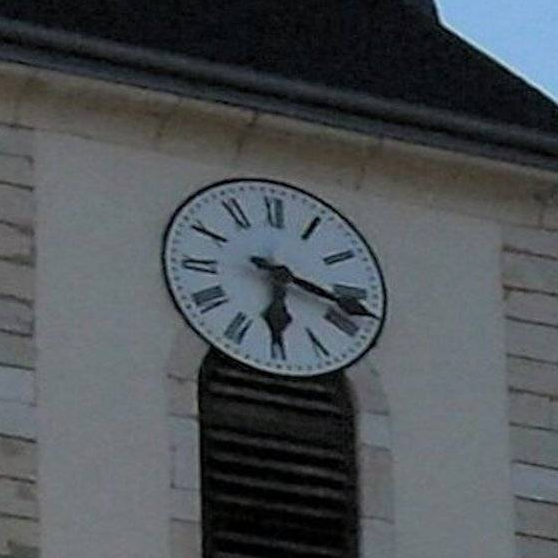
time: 6:17
